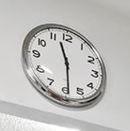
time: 11:29
